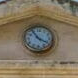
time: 3:54
